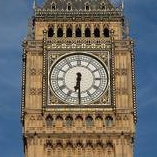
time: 6:30
